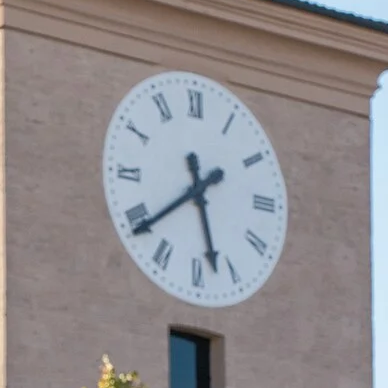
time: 5:38
